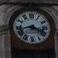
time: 3:42
